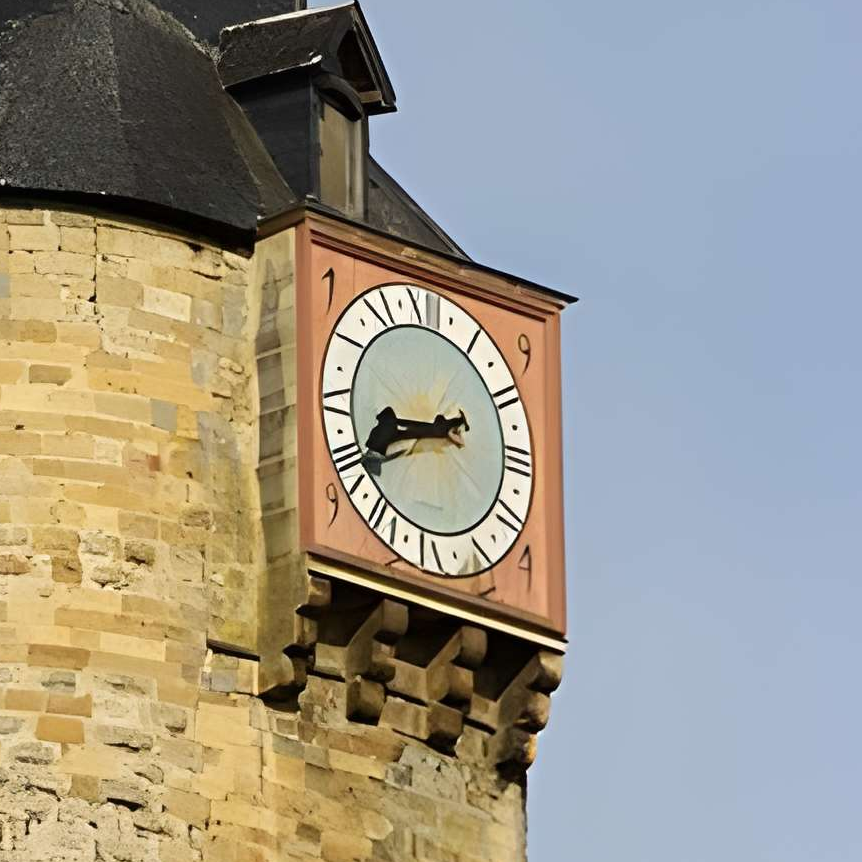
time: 8:41
